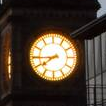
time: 7:44
